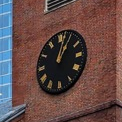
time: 1:02
